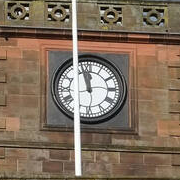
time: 11:57
